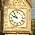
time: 9:54
